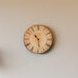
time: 10:28
